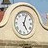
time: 5:03
